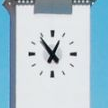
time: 12:54
